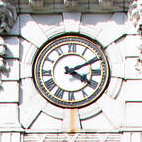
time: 4:10
